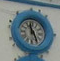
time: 11:25
